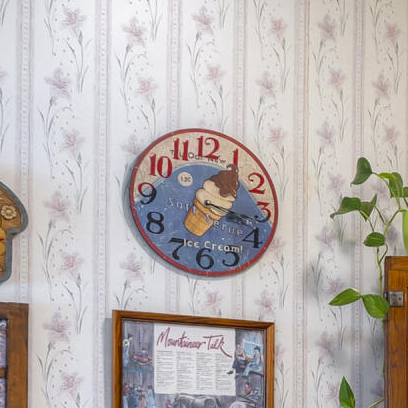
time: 3:16
